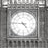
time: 4:45
